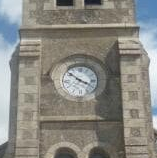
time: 3:51
